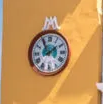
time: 1:55
